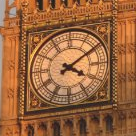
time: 4:09
